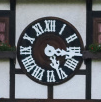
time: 3:26
